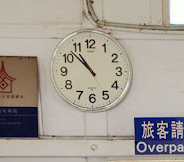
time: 10:52
